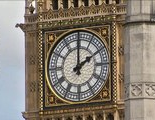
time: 2:00
